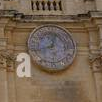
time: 12:41
